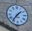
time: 1:36
